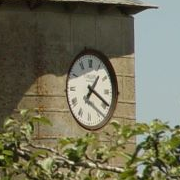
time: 1:19
